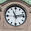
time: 11:13
